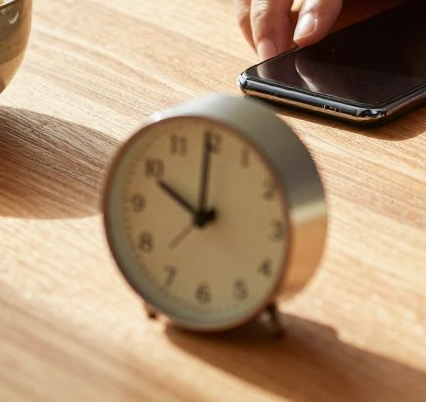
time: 10:00
